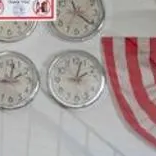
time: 2:02
